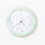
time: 4:40
